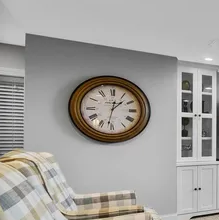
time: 1:32
